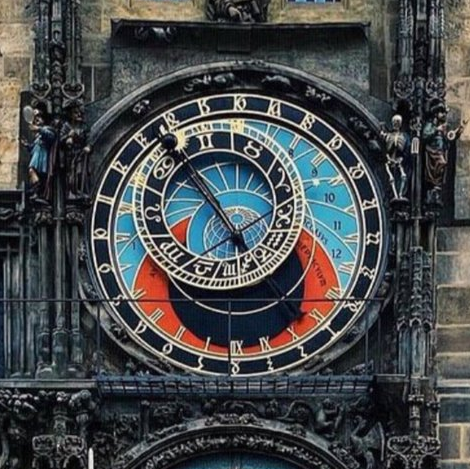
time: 4:53
